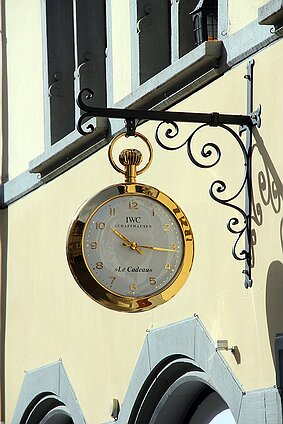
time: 10:16
